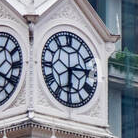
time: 6:14
